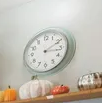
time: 3:10
